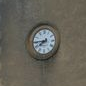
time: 7:44
